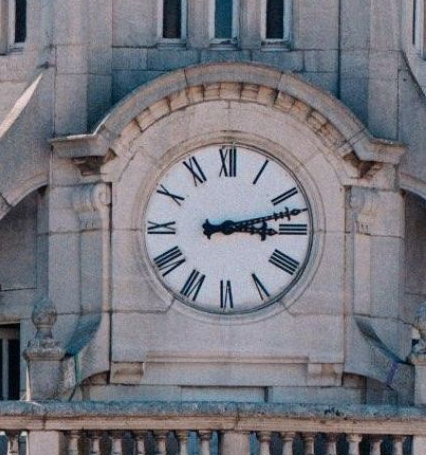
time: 3:12
